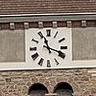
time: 11:18
